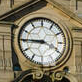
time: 3:45
